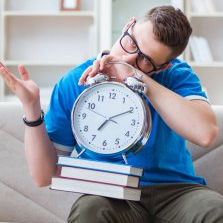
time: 7:10
